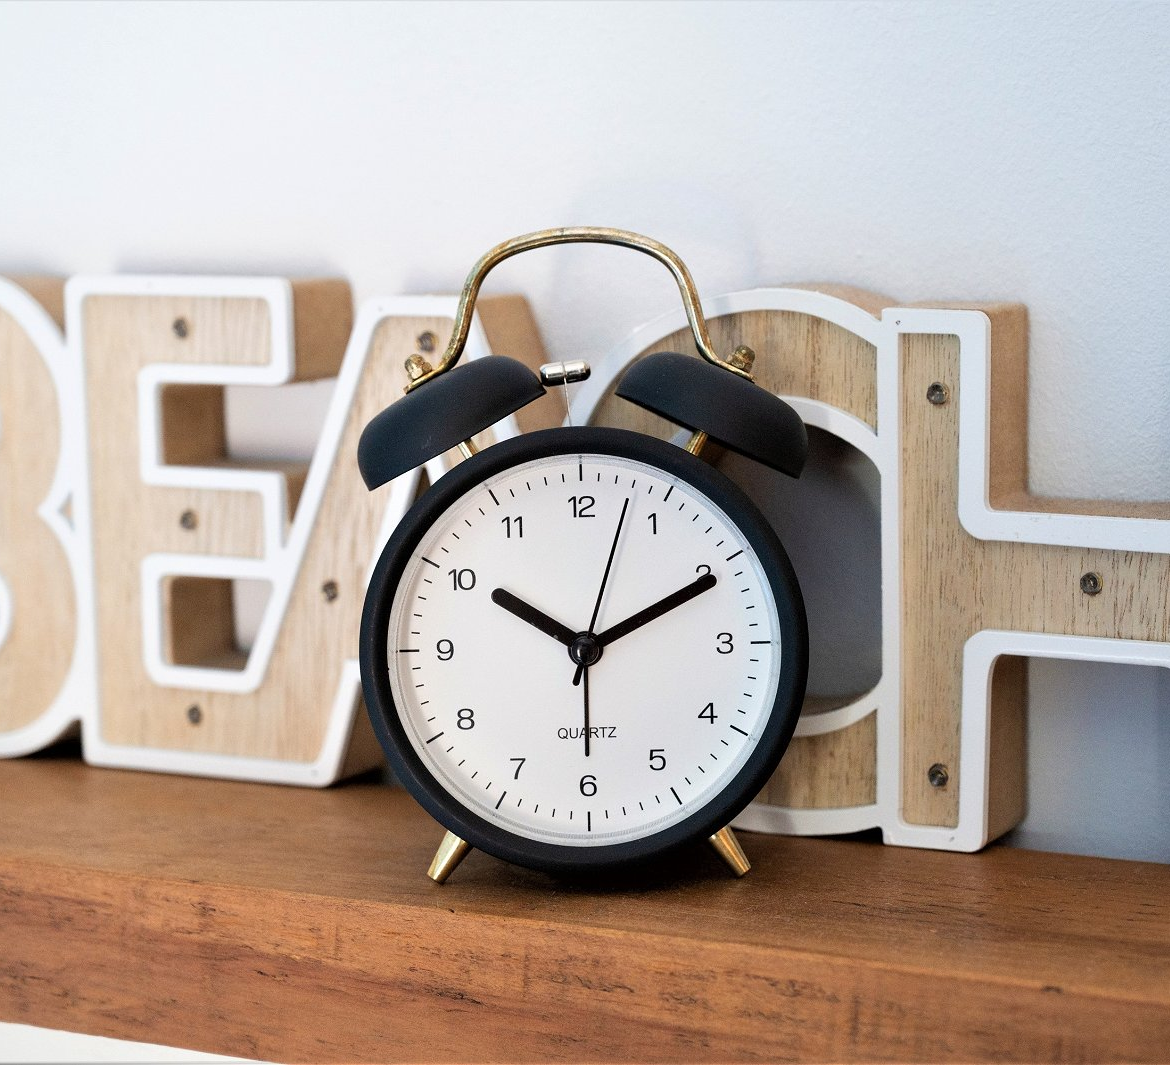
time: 10:10
